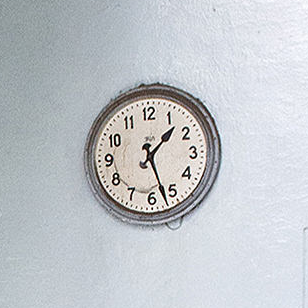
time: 1:27
